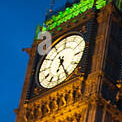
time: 6:25
